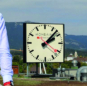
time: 2:07
